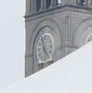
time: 4:56
